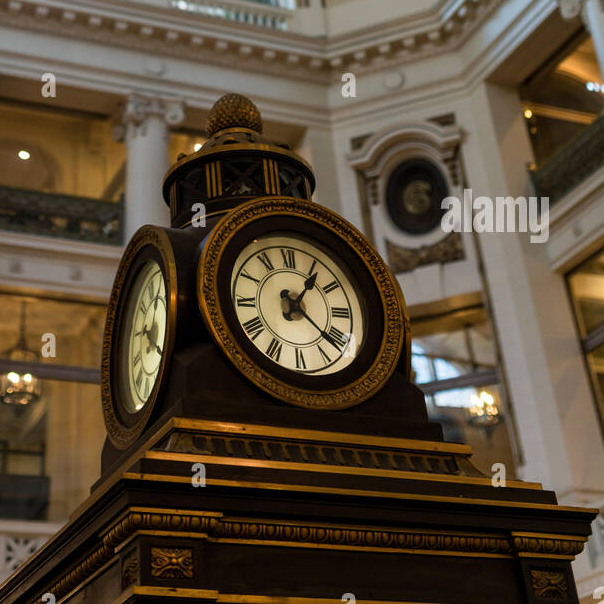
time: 1:21
